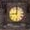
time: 9:01
